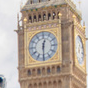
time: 12:29
